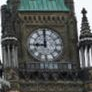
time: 8:59
